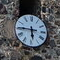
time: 5:45
